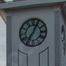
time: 7:04
